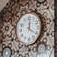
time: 12:20
